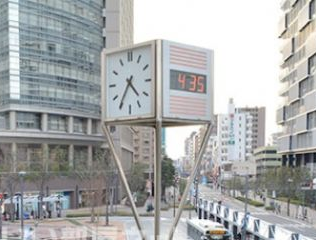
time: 4:35
